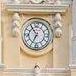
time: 6:54
